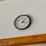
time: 1:18
